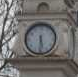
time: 5:30
